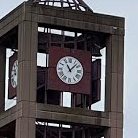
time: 11:07
